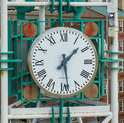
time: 1:28
